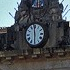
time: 5:59
